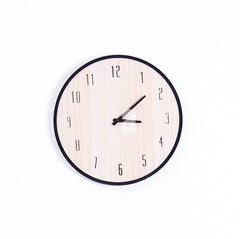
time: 3:08
